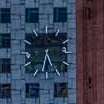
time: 5:32
